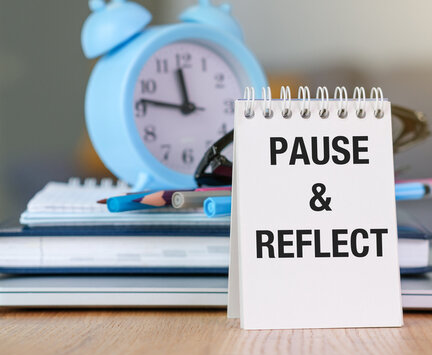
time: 11:46
